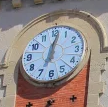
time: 7:01
